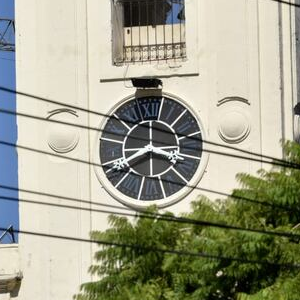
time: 3:39
